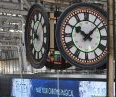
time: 10:07
